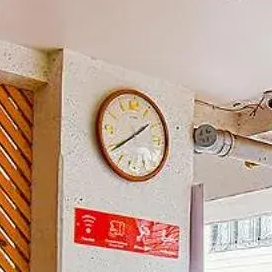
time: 1:39
